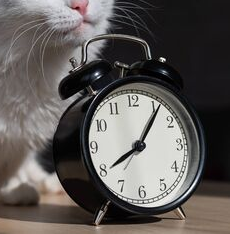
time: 8:06
